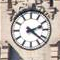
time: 2:21
